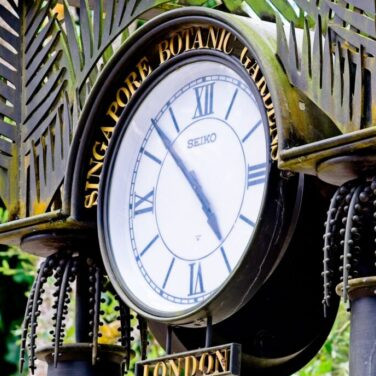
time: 4:52
